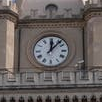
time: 12:06
